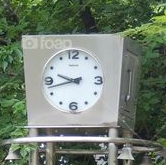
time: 9:42
